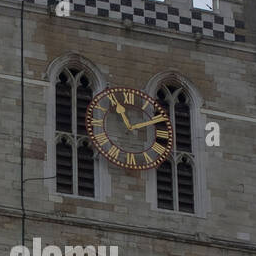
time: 11:11
